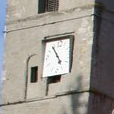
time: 4:53
